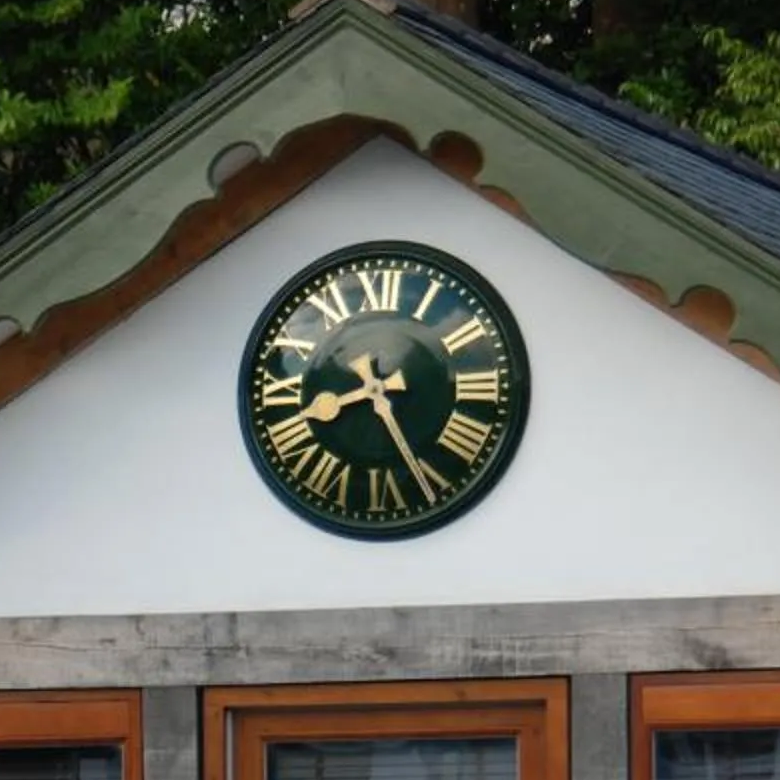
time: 8:25
